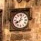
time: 8:02
